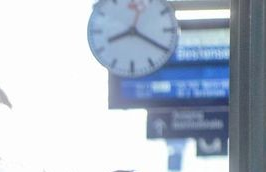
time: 8:20
